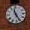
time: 11:25
